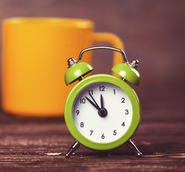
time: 11:52
